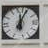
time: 12:04
